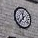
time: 11:37
